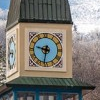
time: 9:32
